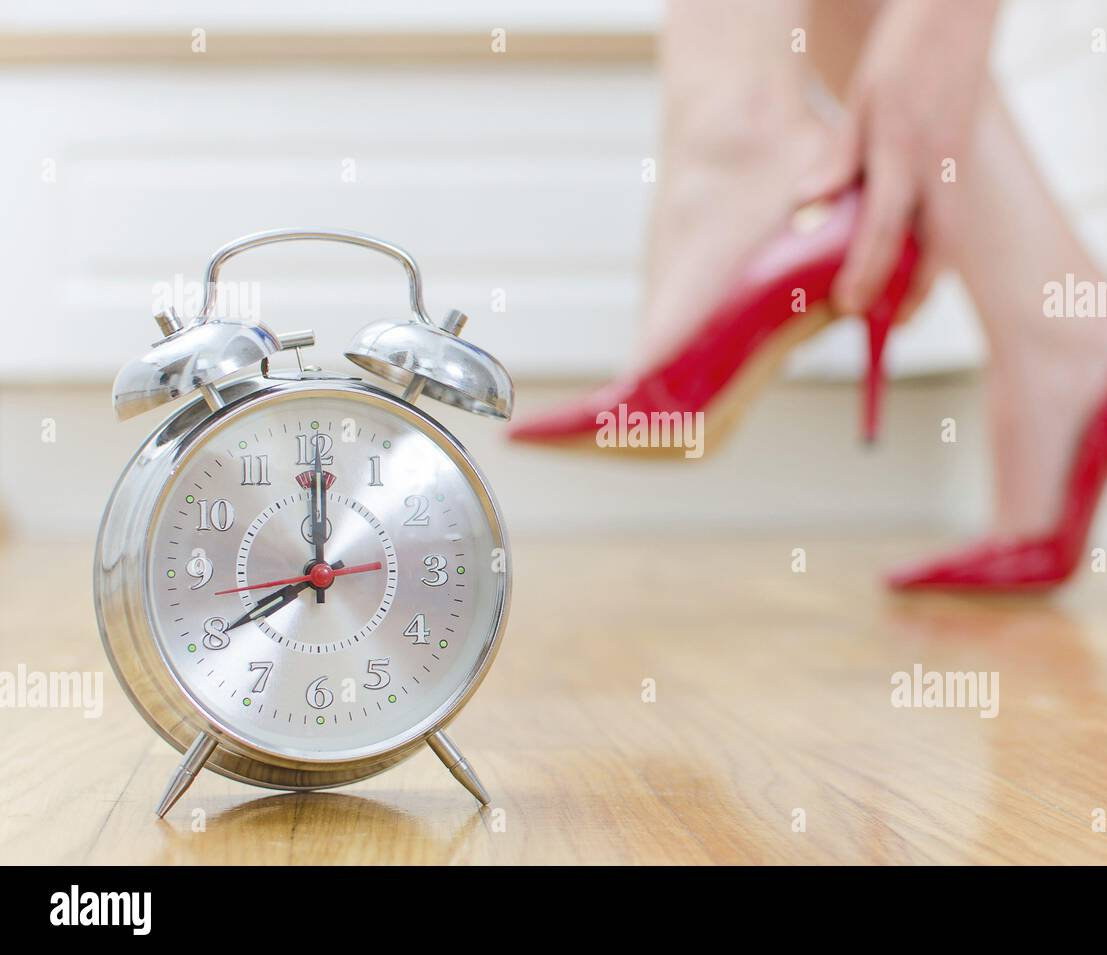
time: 8:00
